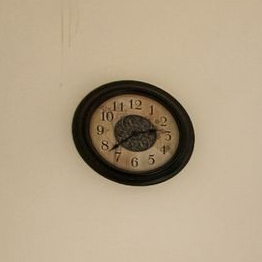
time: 2:37
